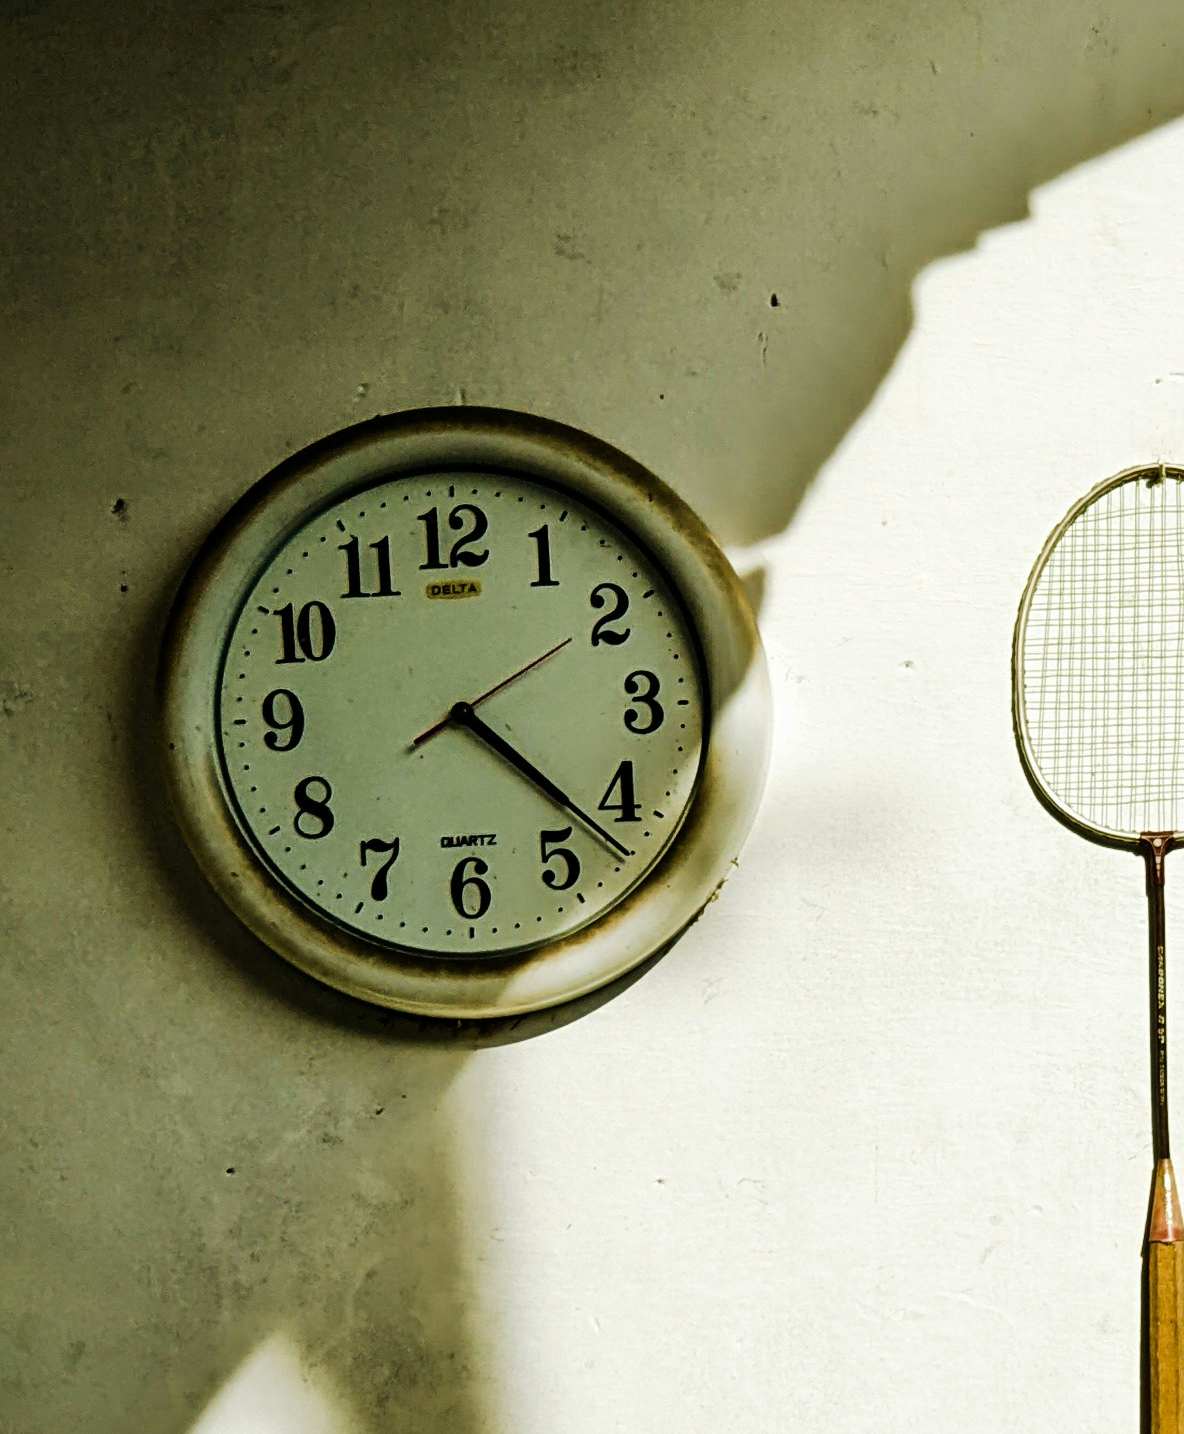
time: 4:22
